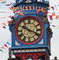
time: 10:19
